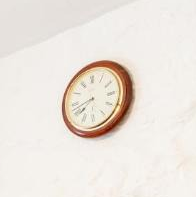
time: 7:42
